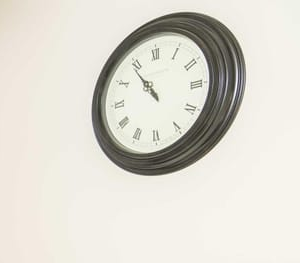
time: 10:53
